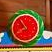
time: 7:54
